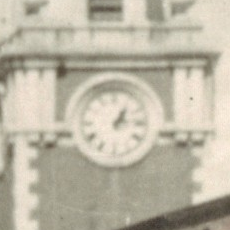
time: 1:13
